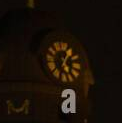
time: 5:05
